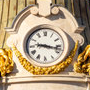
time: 9:17
